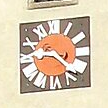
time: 9:22
